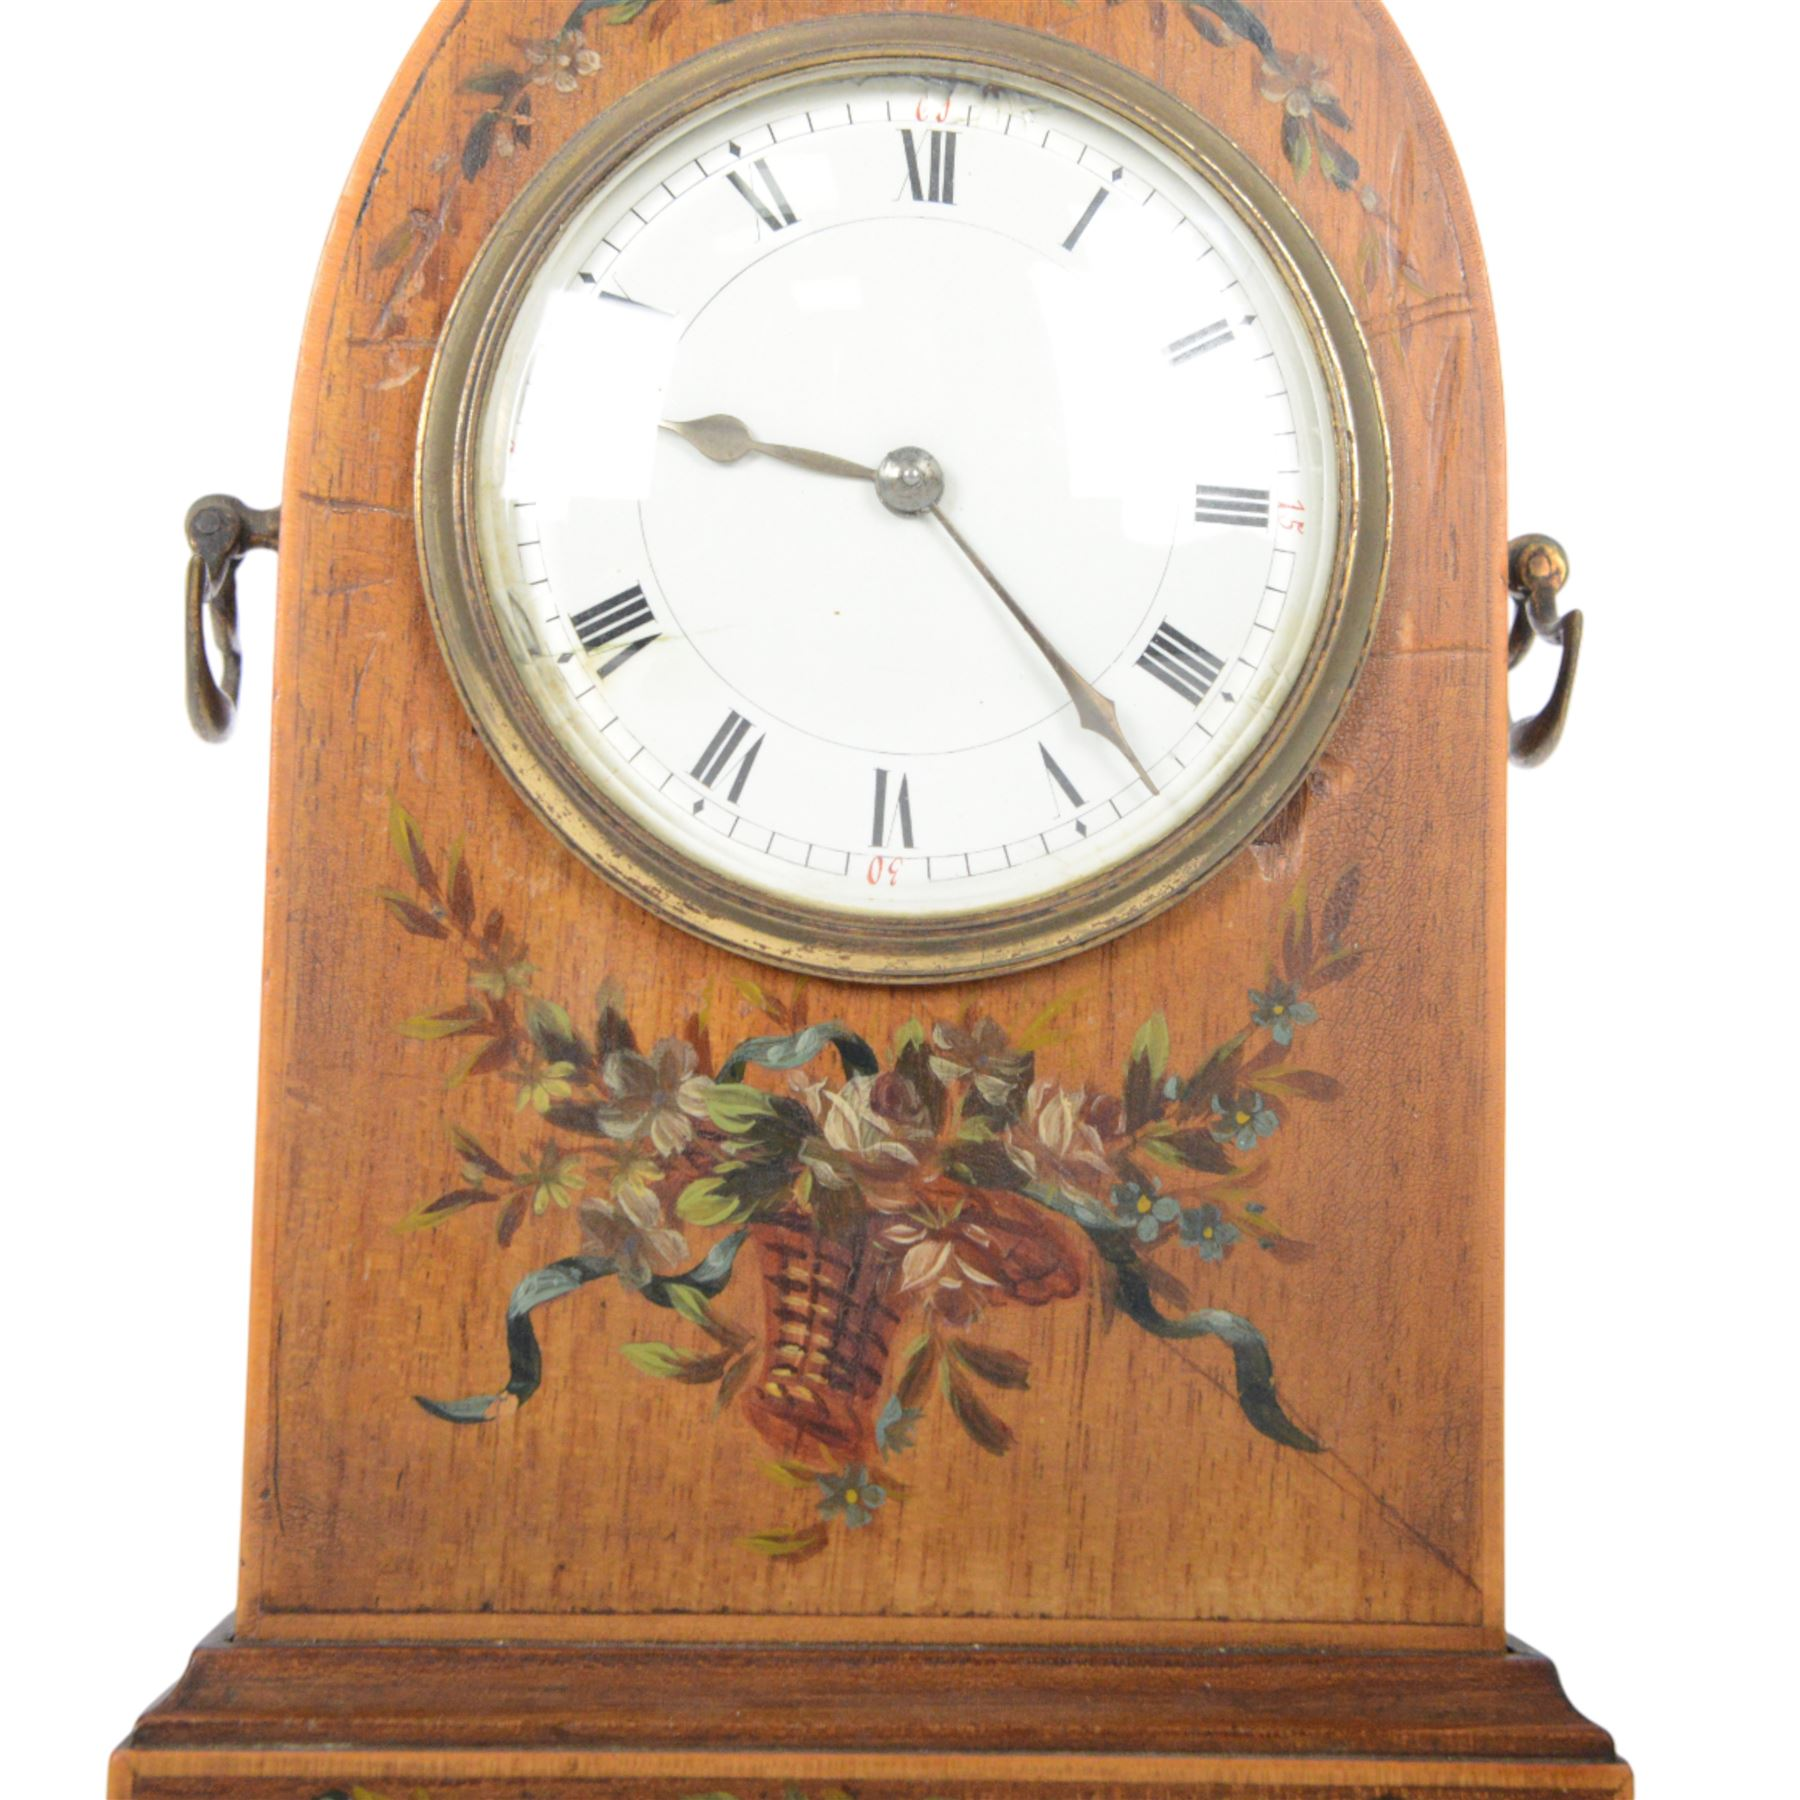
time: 9:22
